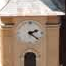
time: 2:21
